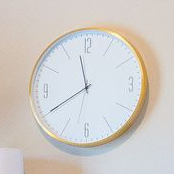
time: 11:40
